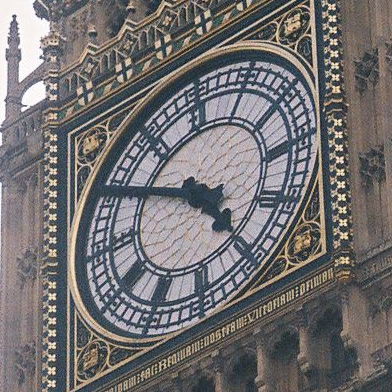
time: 4:50
